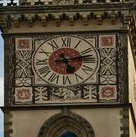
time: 5:12
